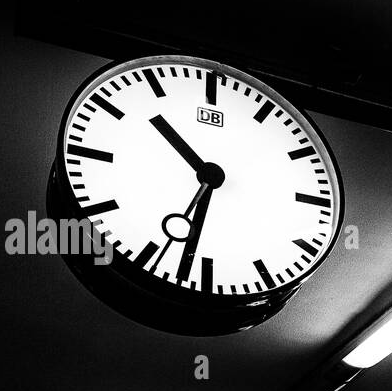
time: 10:32
